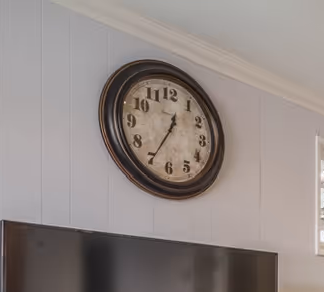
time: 12:34
